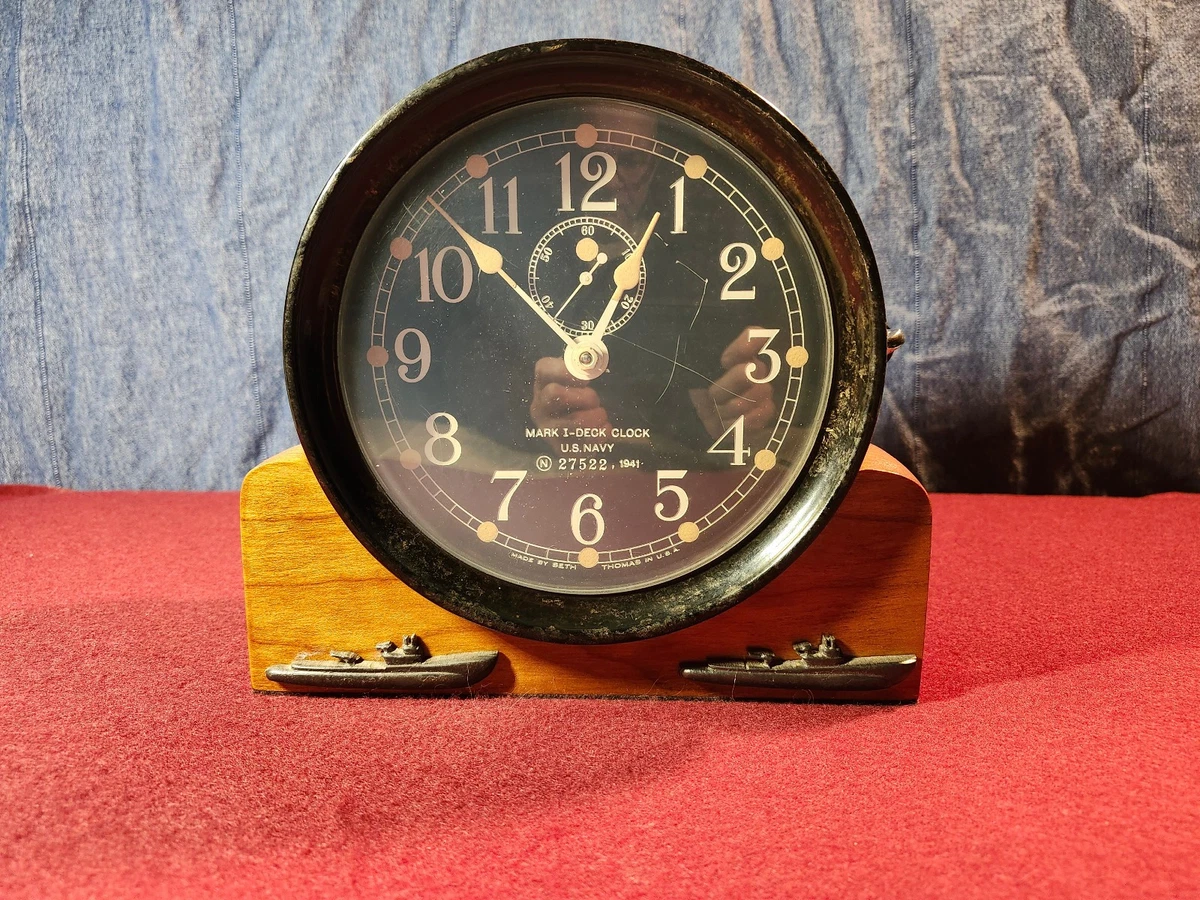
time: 12:52
